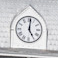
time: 5:01
